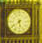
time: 5:38
